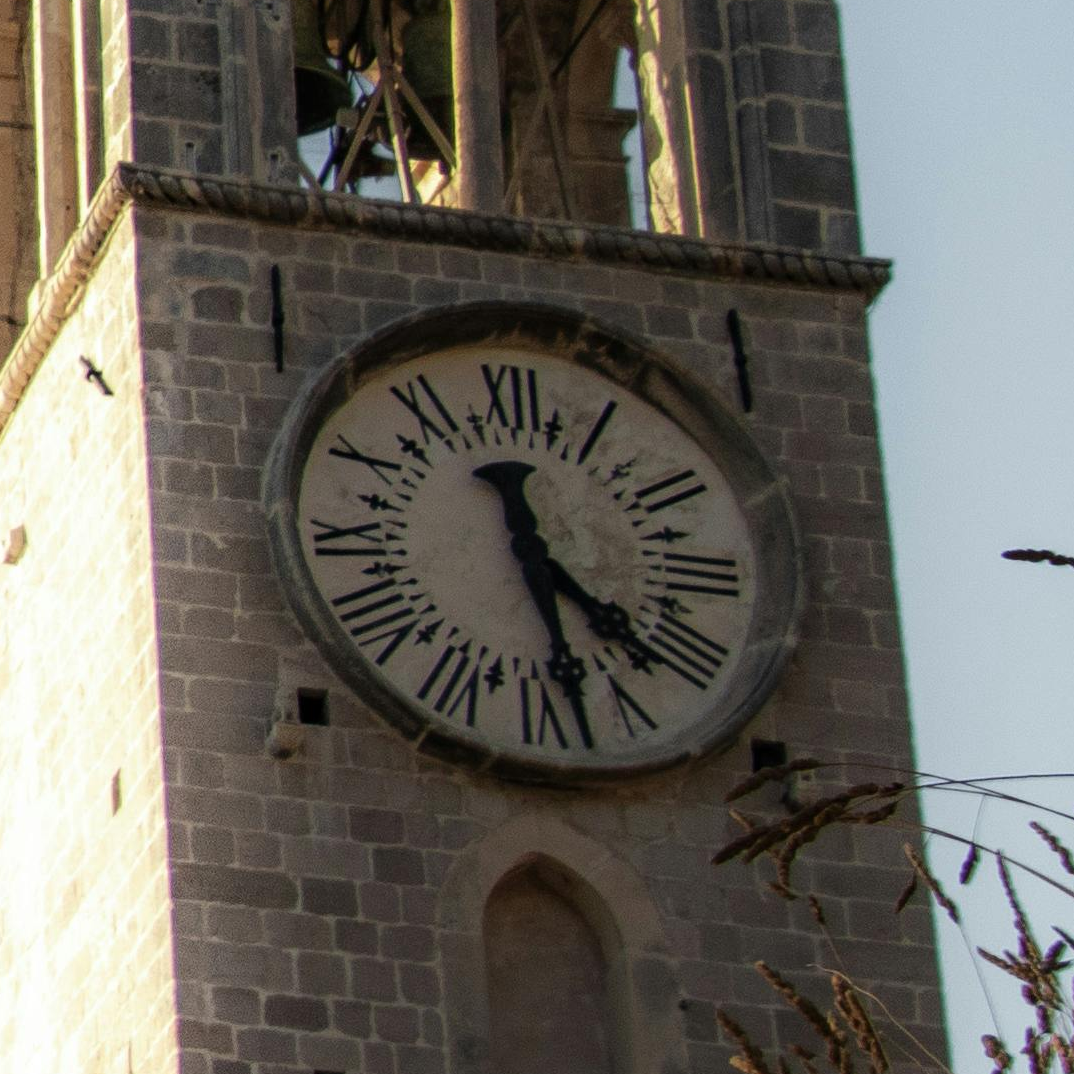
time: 4:27
